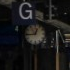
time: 12:44
